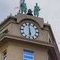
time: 5:58
